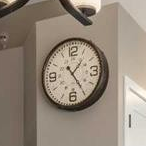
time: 1:24
